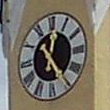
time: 12:24
